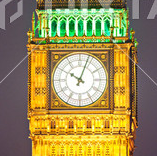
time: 10:03
